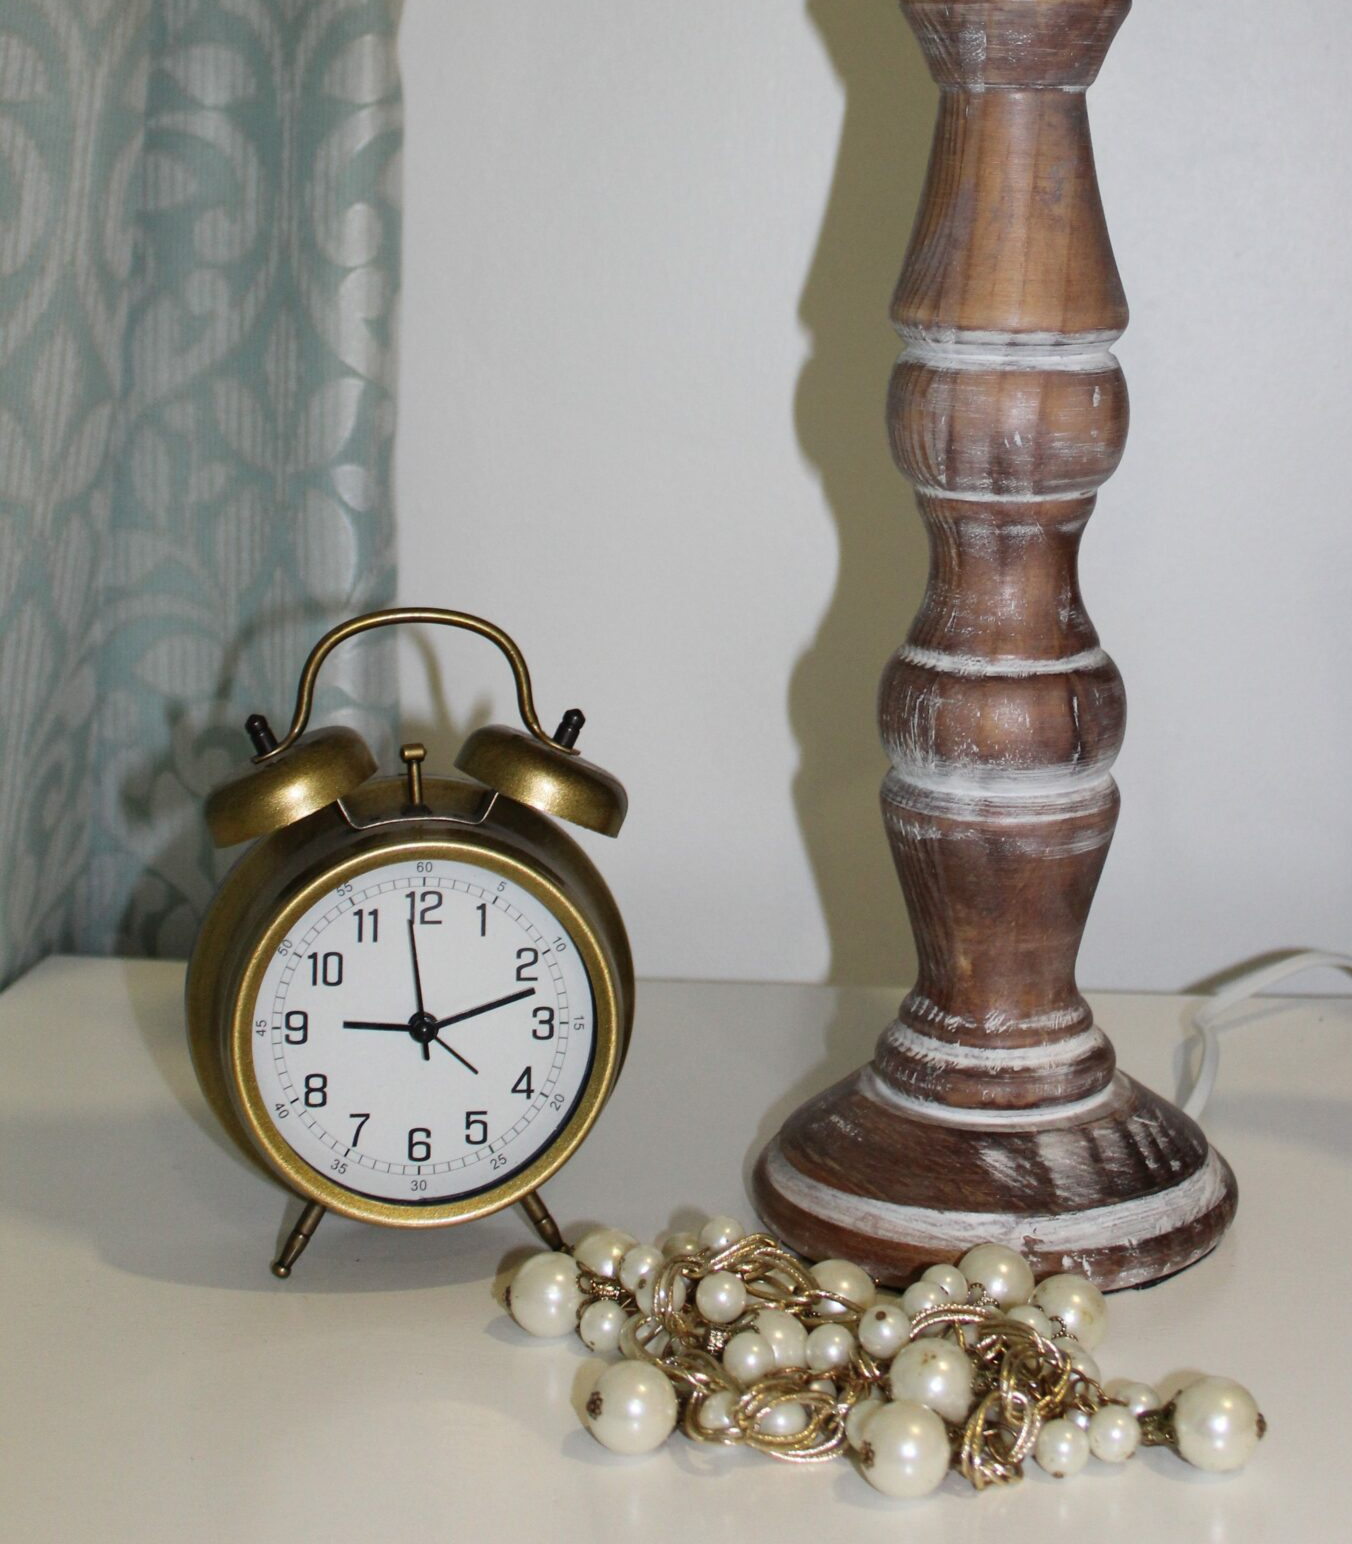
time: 9:12
